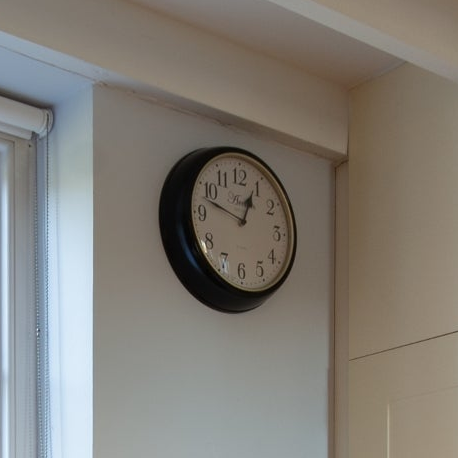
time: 12:47
